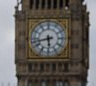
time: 5:42
